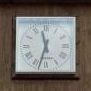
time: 11:32
